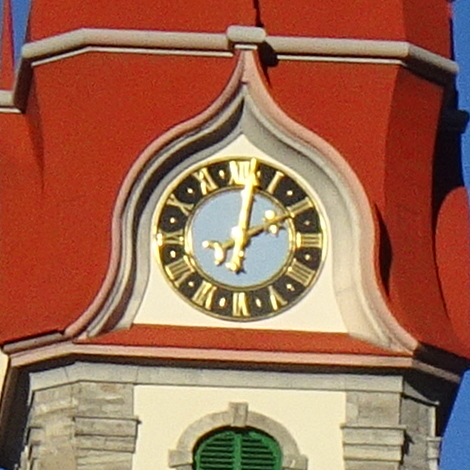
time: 2:02
